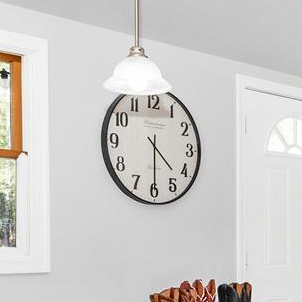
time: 4:29
